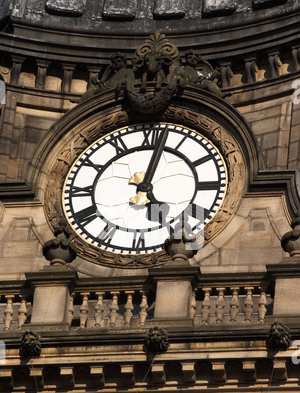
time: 5:02
